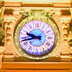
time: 9:42
